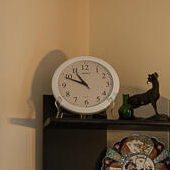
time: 10:48
